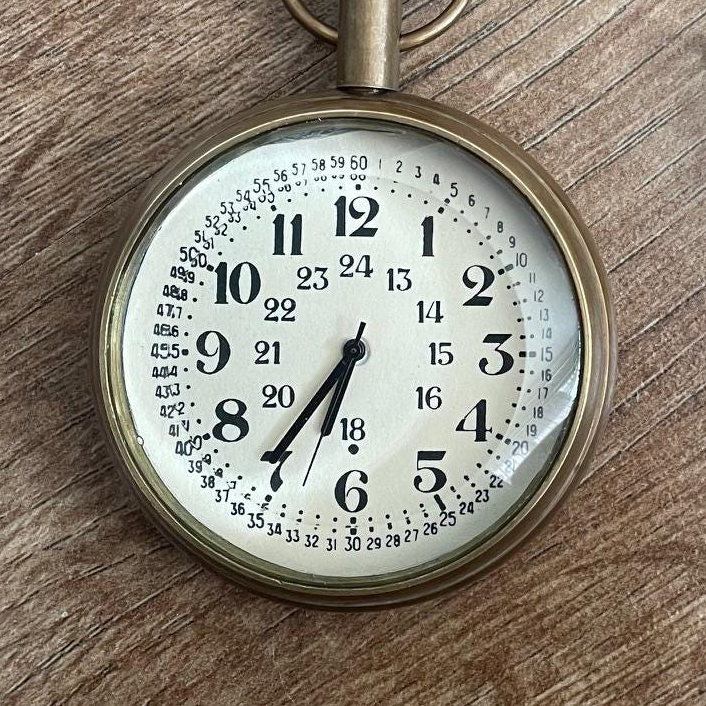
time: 6:36
